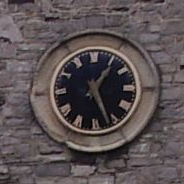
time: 1:26
